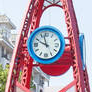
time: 9:57
